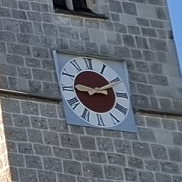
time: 9:10
